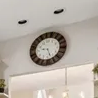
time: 9:26
